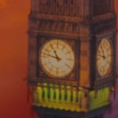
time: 10:47
